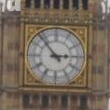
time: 2:53
